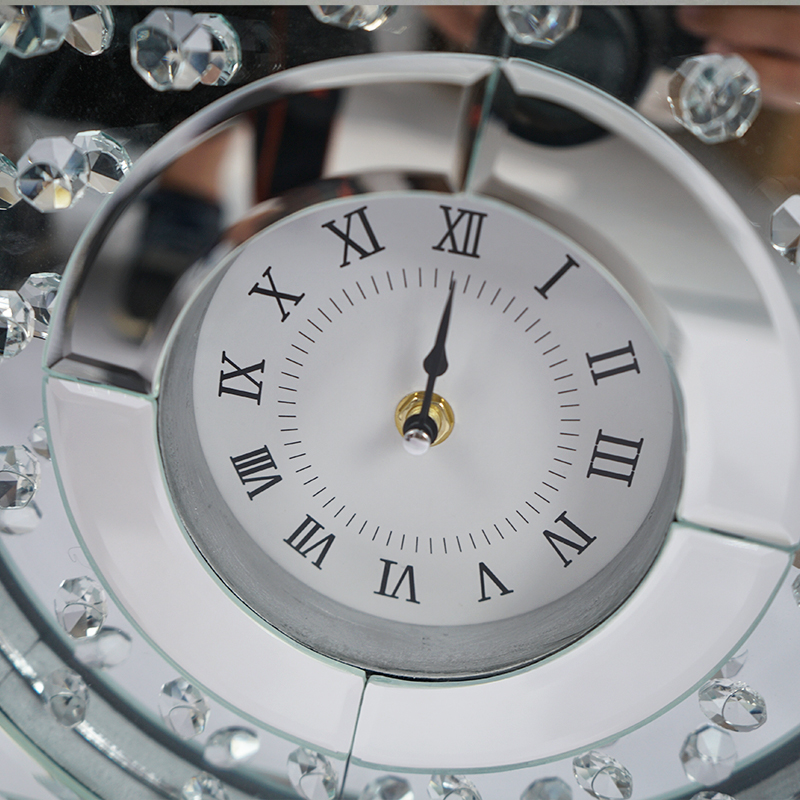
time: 12:00
